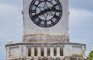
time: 2:40
